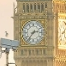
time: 2:36
